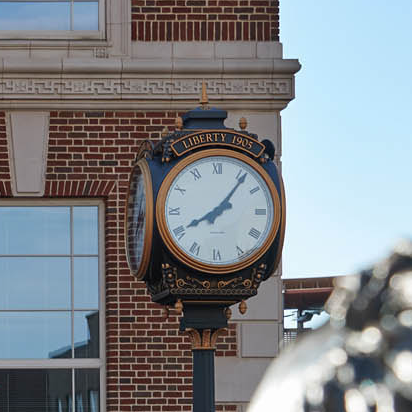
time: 8:06
